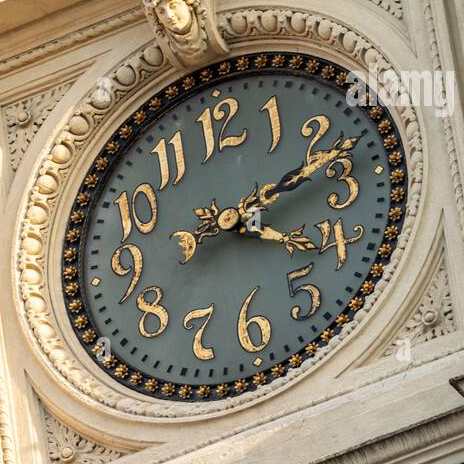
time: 4:12
